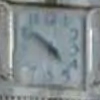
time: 4:51
